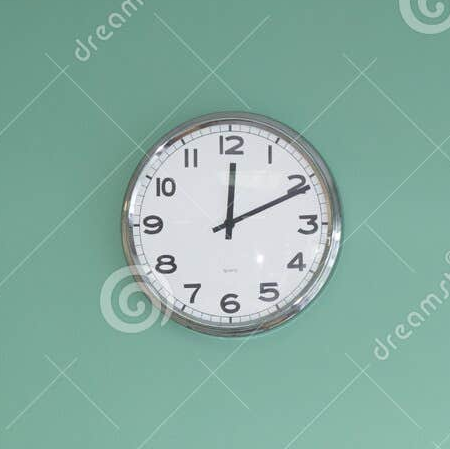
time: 12:10
